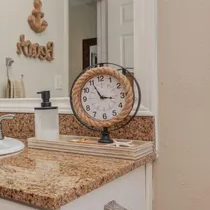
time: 2:55
